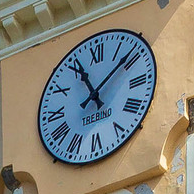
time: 11:08
